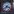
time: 7:18
